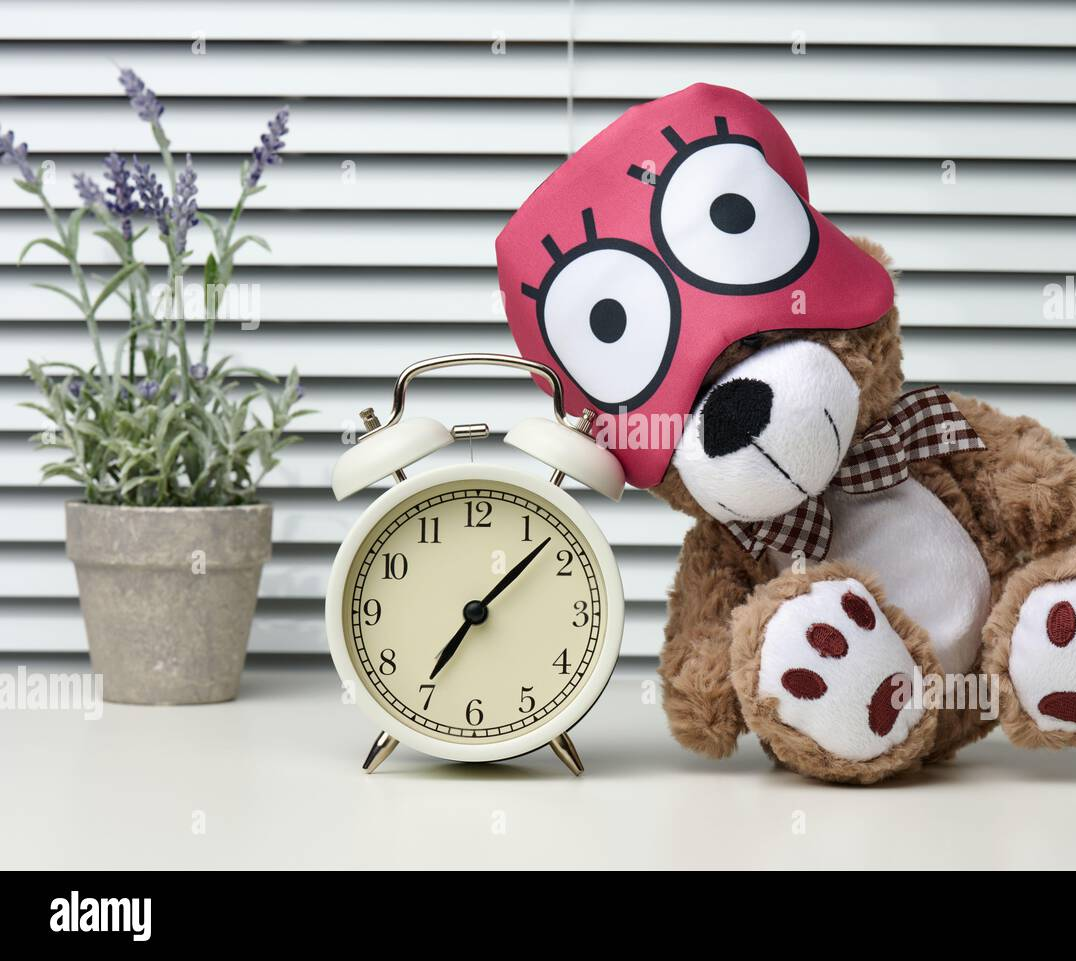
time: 7:07
